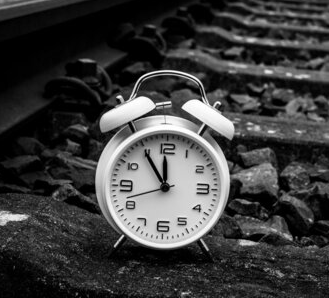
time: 11:54
